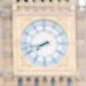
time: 7:42
